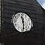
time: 11:29
